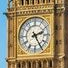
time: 2:25
